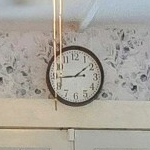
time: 1:44
